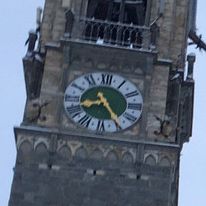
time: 8:24
